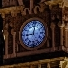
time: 9:01
